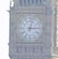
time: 3:02
